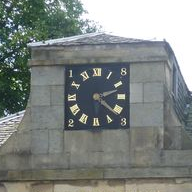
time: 2:21
